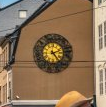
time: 2:23
